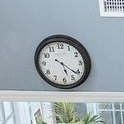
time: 5:21
